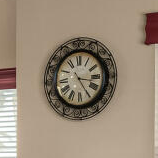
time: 3:24
